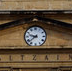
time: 9:38
